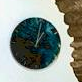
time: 1:02
